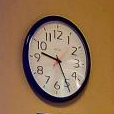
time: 9:24
